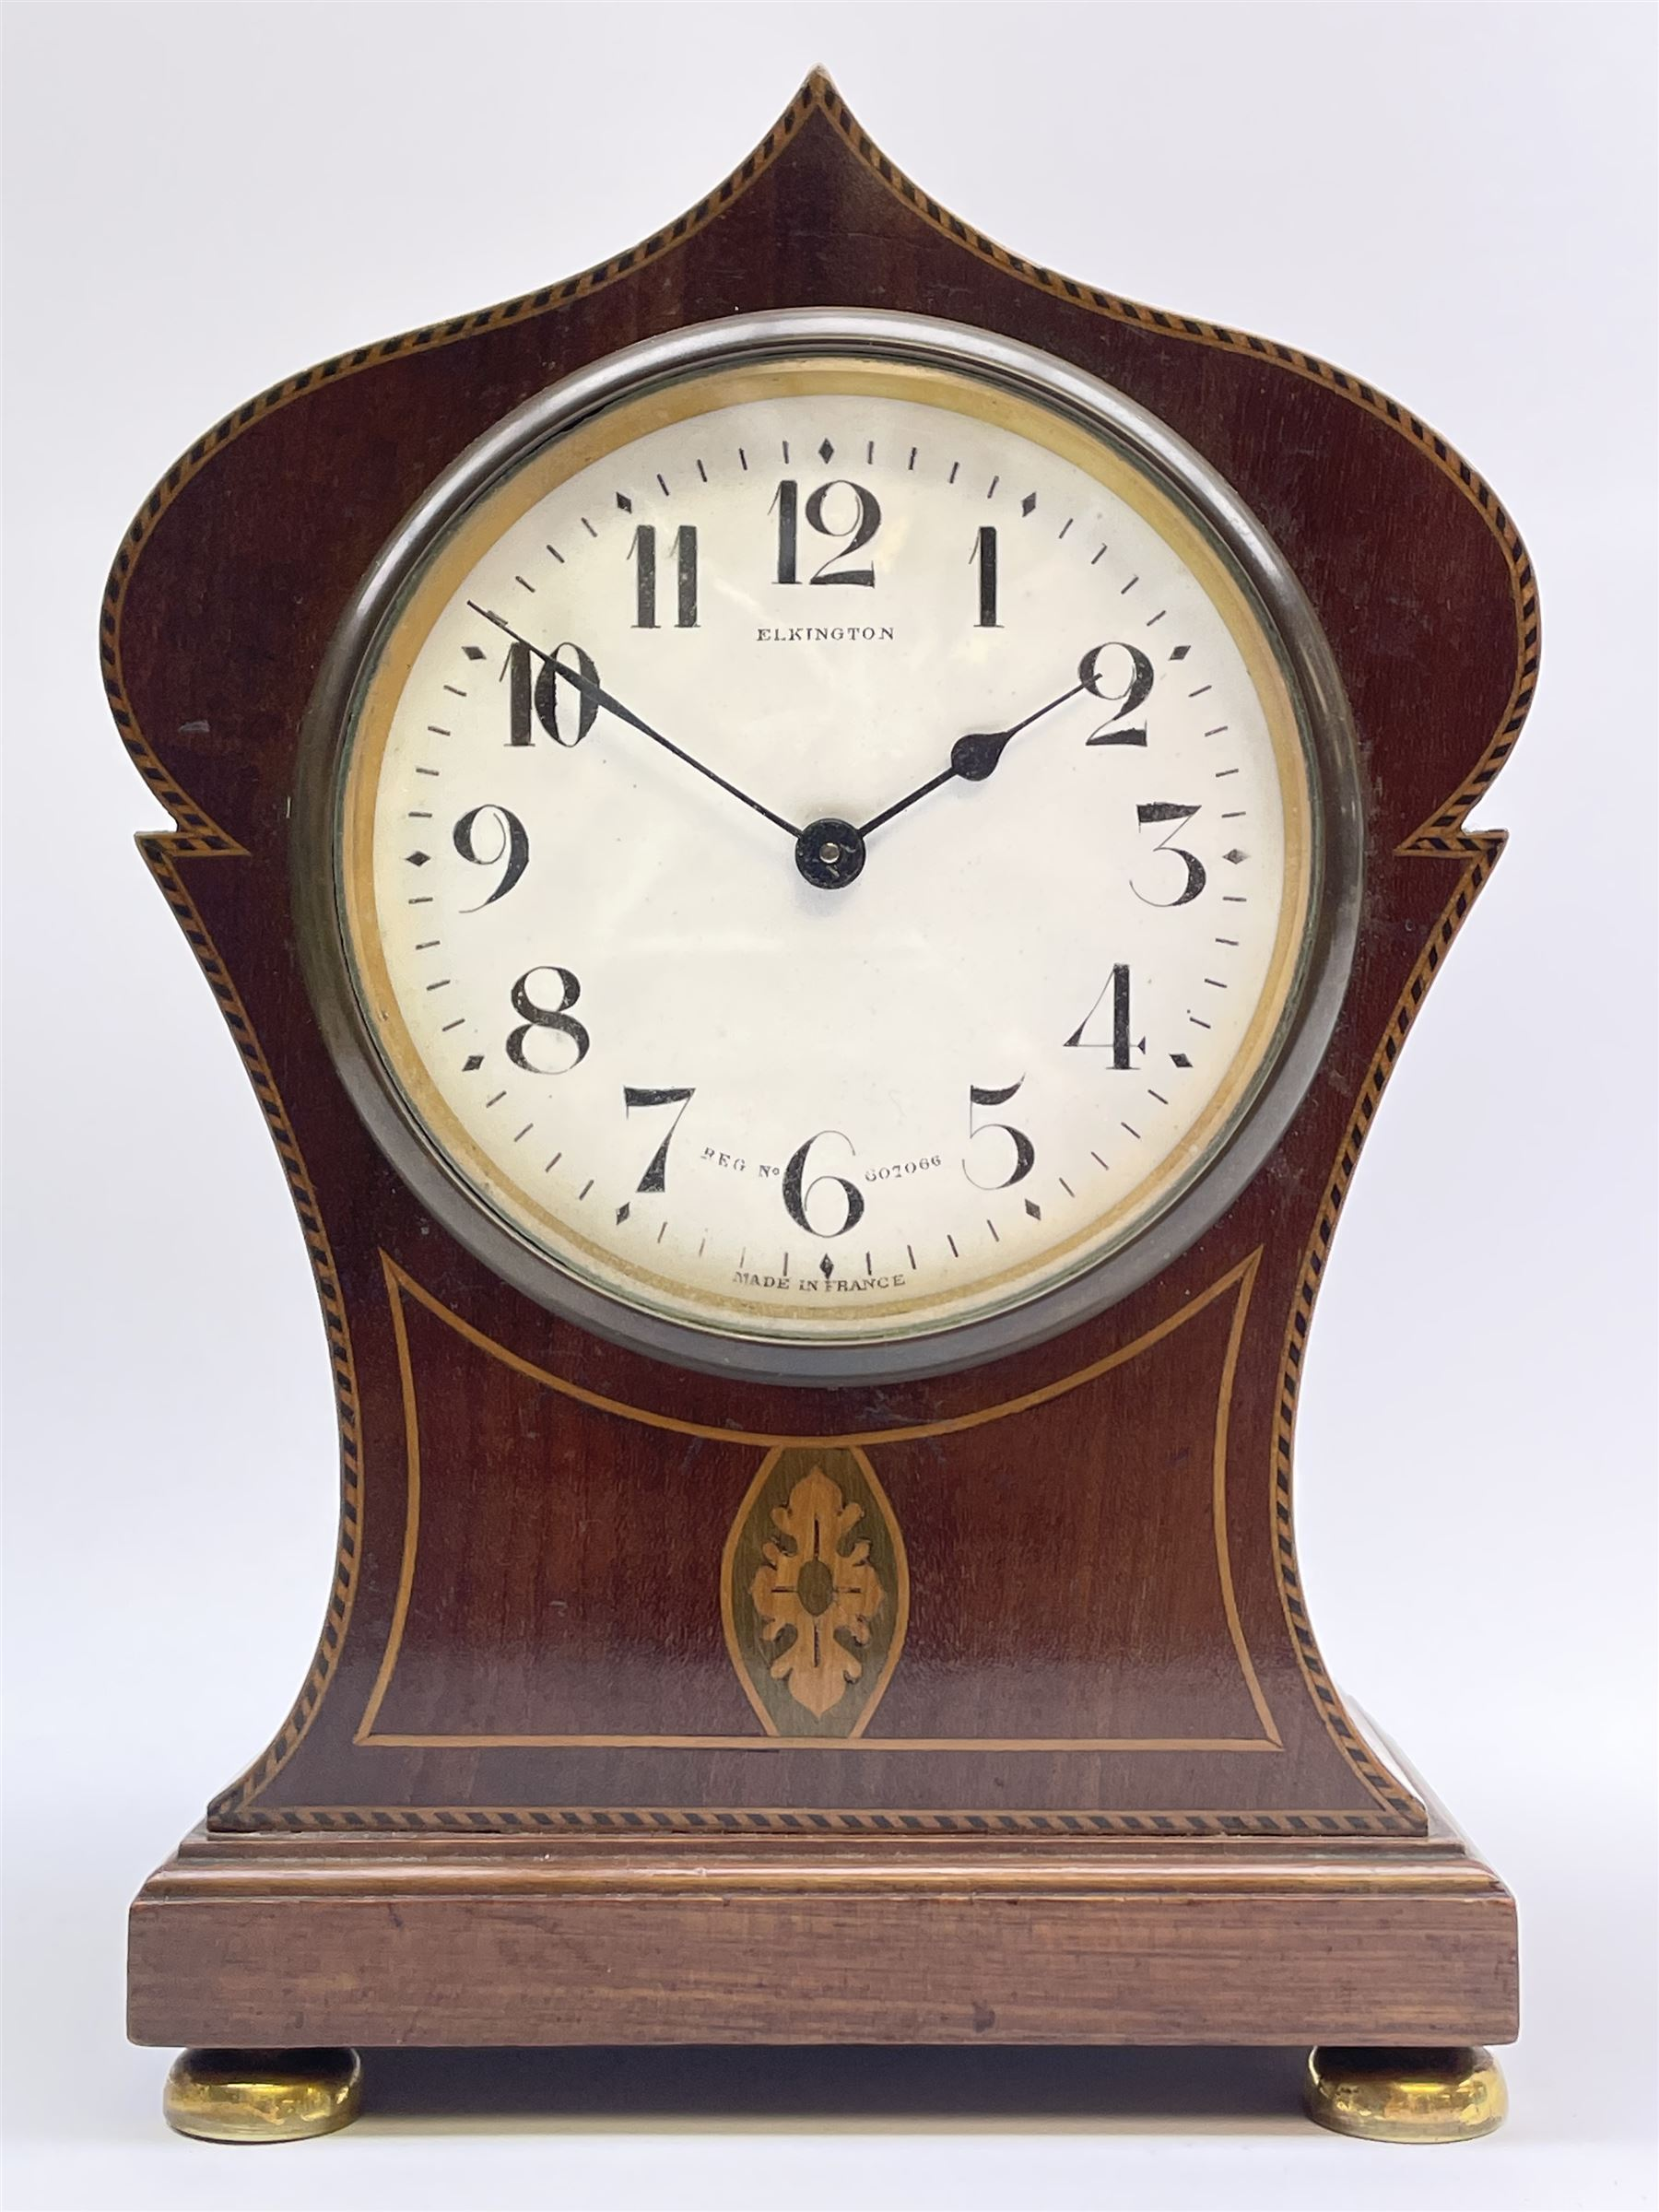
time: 1:50
